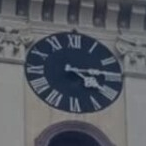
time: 4:14
